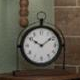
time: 10:09
